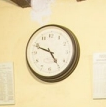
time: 4:48
